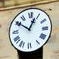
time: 12:50
